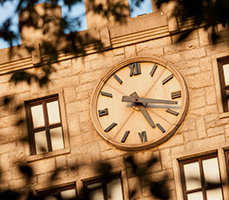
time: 5:17
